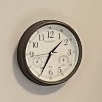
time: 1:34
